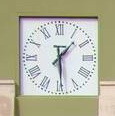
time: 1:29
